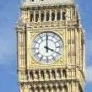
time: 4:00
